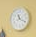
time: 11:19
